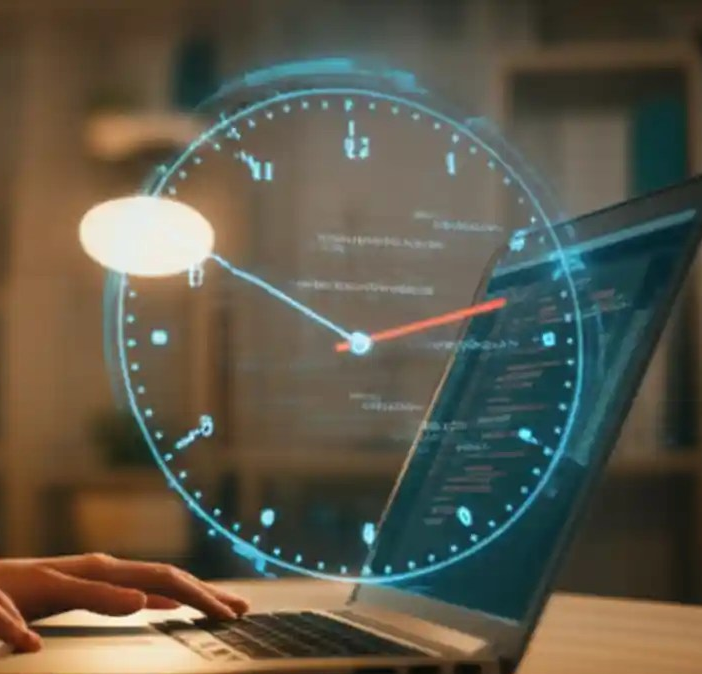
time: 2:50
